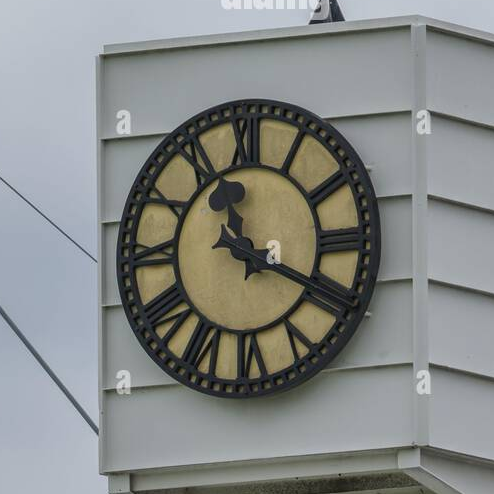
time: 11:19
